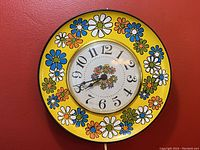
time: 7:40
